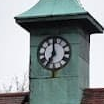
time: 6:59
